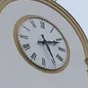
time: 2:24
